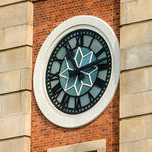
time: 11:12
